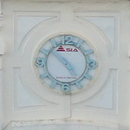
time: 4:52
